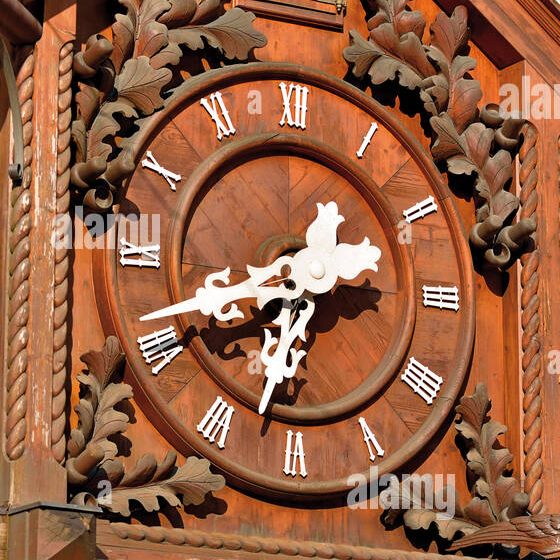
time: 6:41
